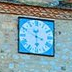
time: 3:29
